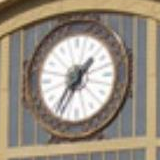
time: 1:36
